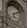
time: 6:10
